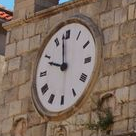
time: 11:48
